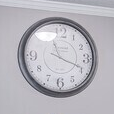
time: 11:18
